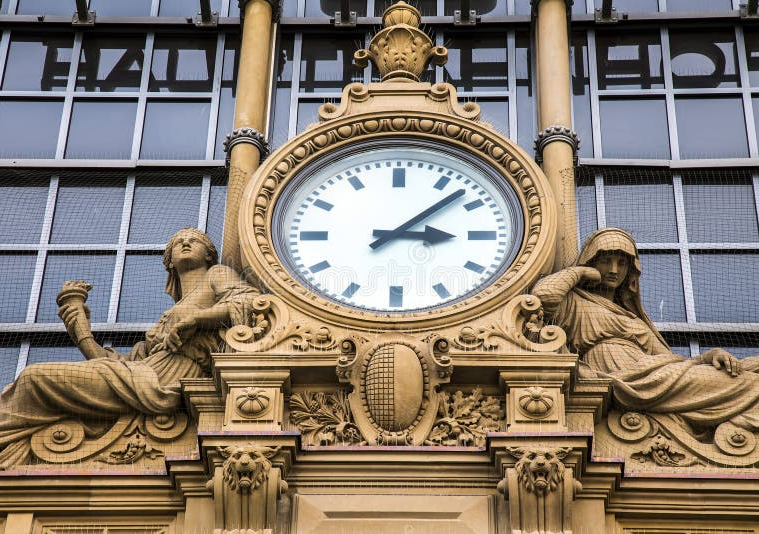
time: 3:07
